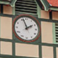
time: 1:56
